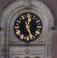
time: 12:26
